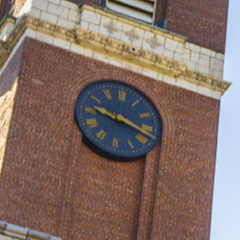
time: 9:17
